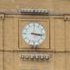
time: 3:16
